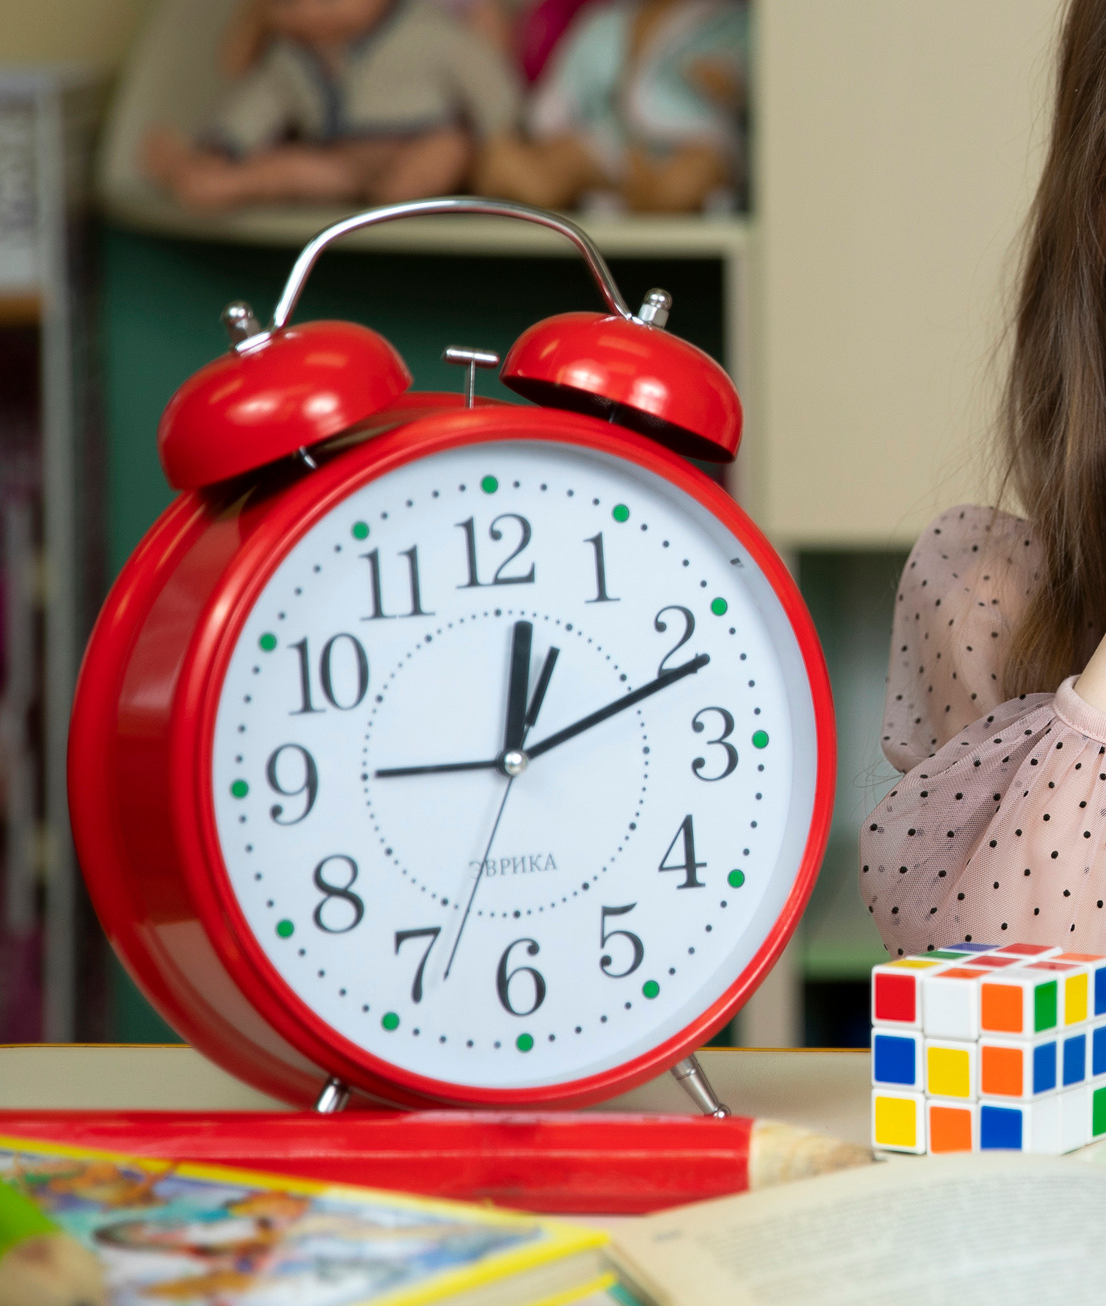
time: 12:11
